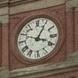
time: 1:18
